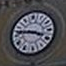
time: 3:46
